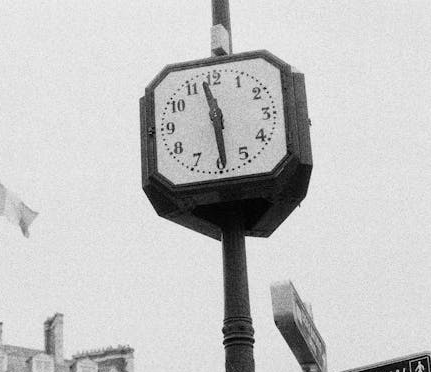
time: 11:29
